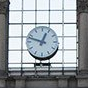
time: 12:48
